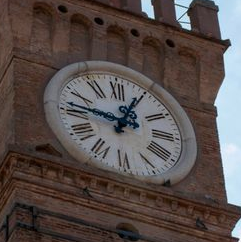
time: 12:46
